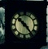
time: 10:24
